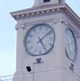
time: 5:08
